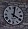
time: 4:01
